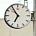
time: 6:54
